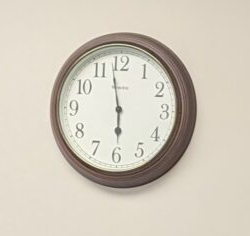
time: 5:58
